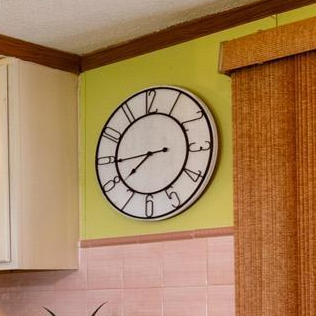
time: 7:44
